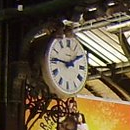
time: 1:46
